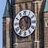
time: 12:35
